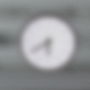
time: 5:40
